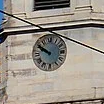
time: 9:50
